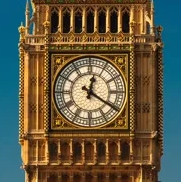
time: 12:20
